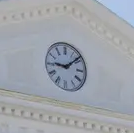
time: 9:08
